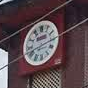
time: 2:42
